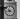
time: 10:42
